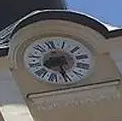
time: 2:26
